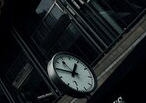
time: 12:45
